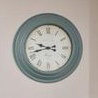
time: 9:42
